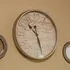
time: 10:26
